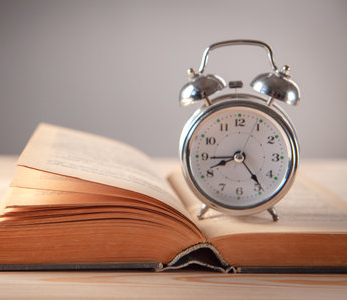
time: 8:23
